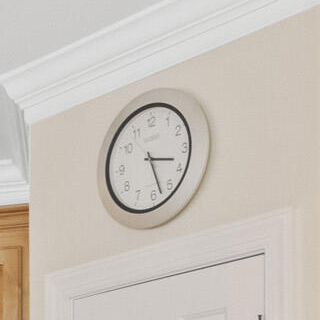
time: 3:28
